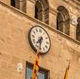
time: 7:32
